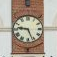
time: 9:26
